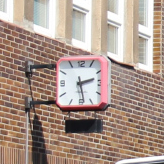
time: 2:28
